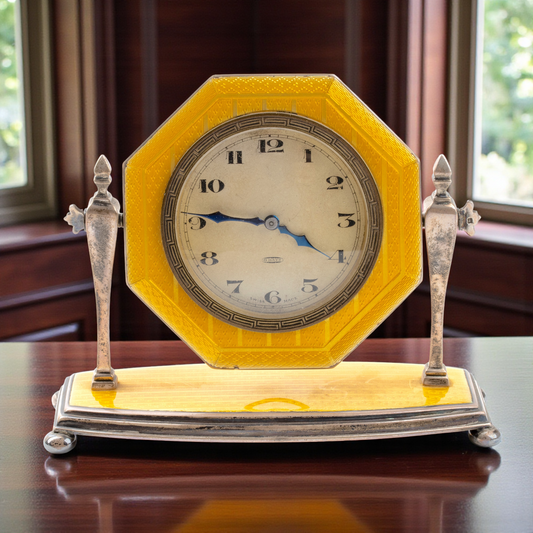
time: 3:45
